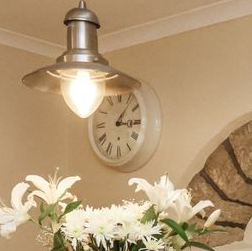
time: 3:06
